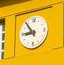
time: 8:53
